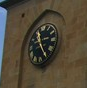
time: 11:24
